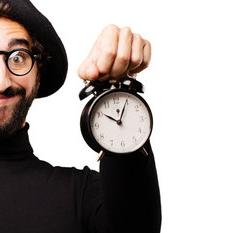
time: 10:04
